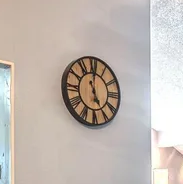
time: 4:59
